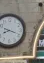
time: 8:18
